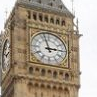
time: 2:57
